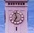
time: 6:58
